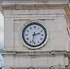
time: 2:32
